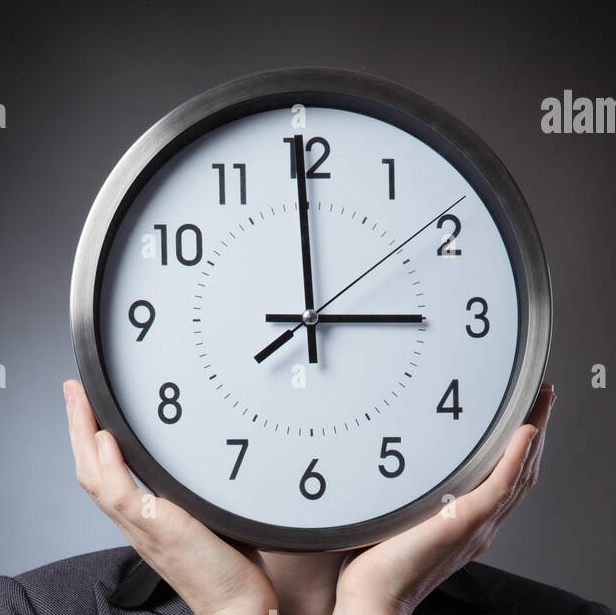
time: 2:59
